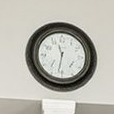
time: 11:31
